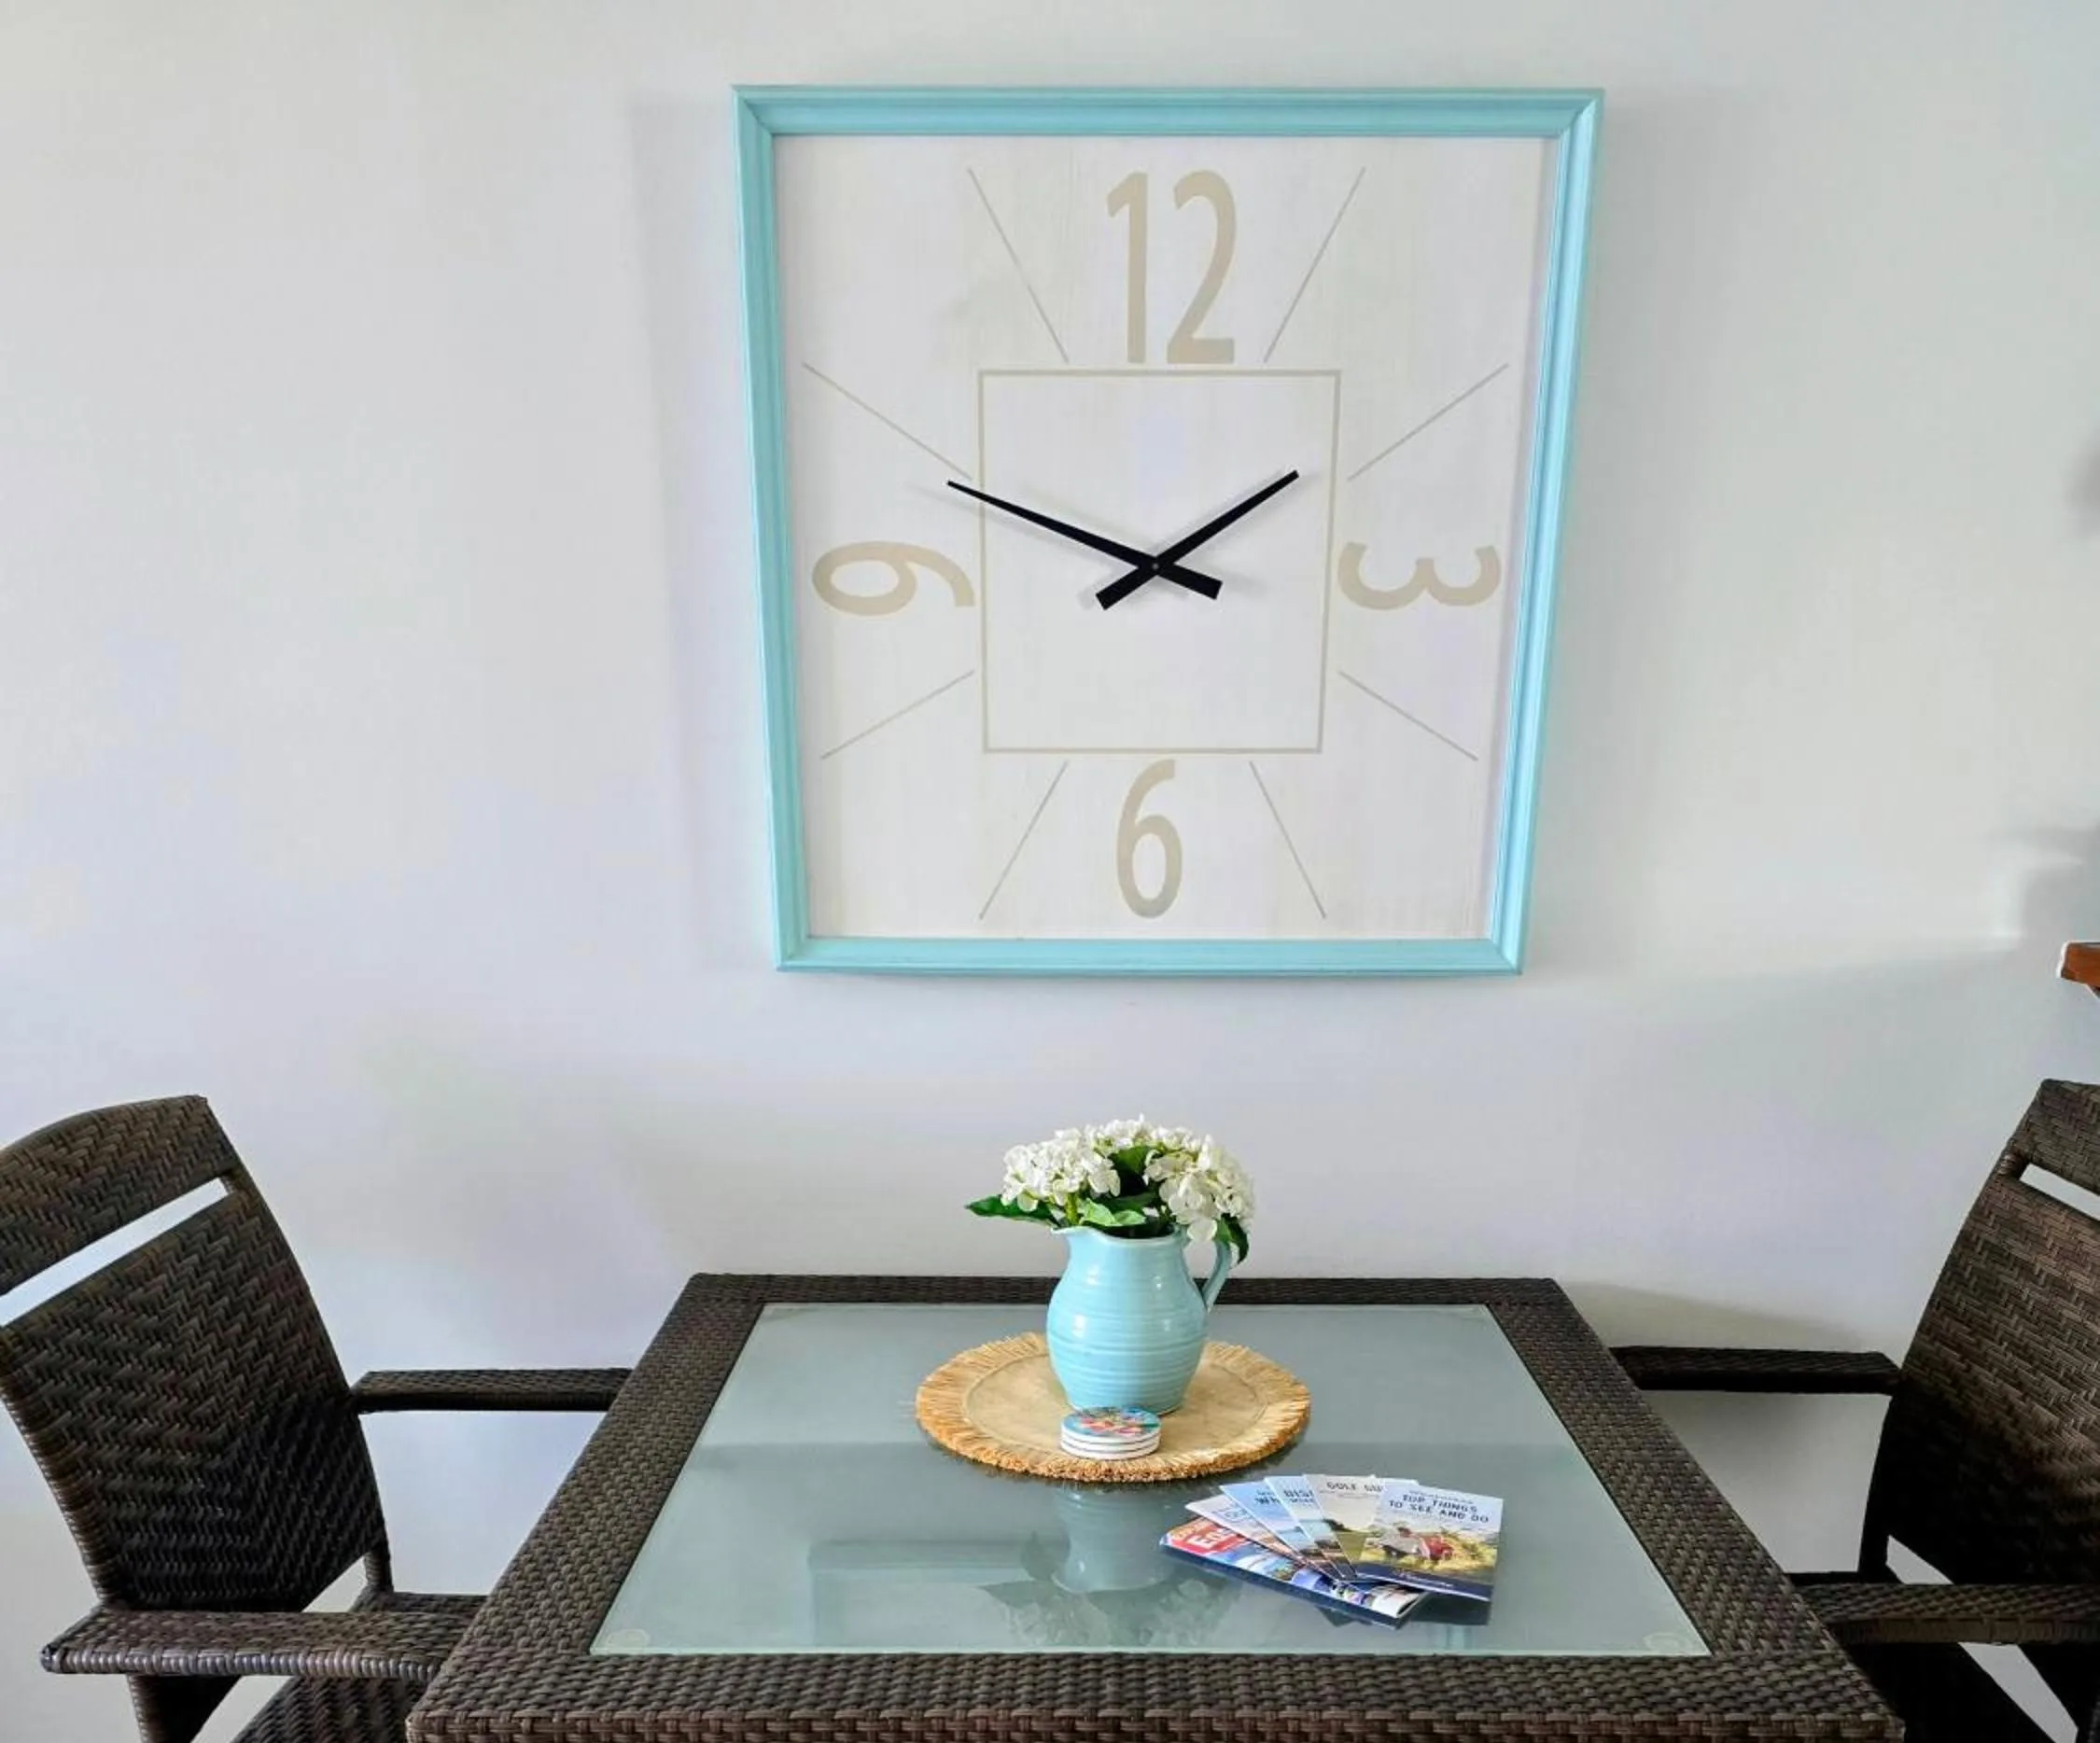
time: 1:48
